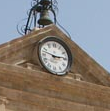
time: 2:47
